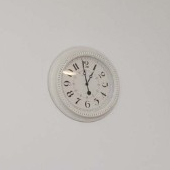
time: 12:58
